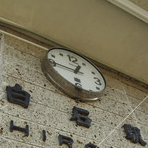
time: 12:46
